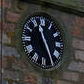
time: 11:25
